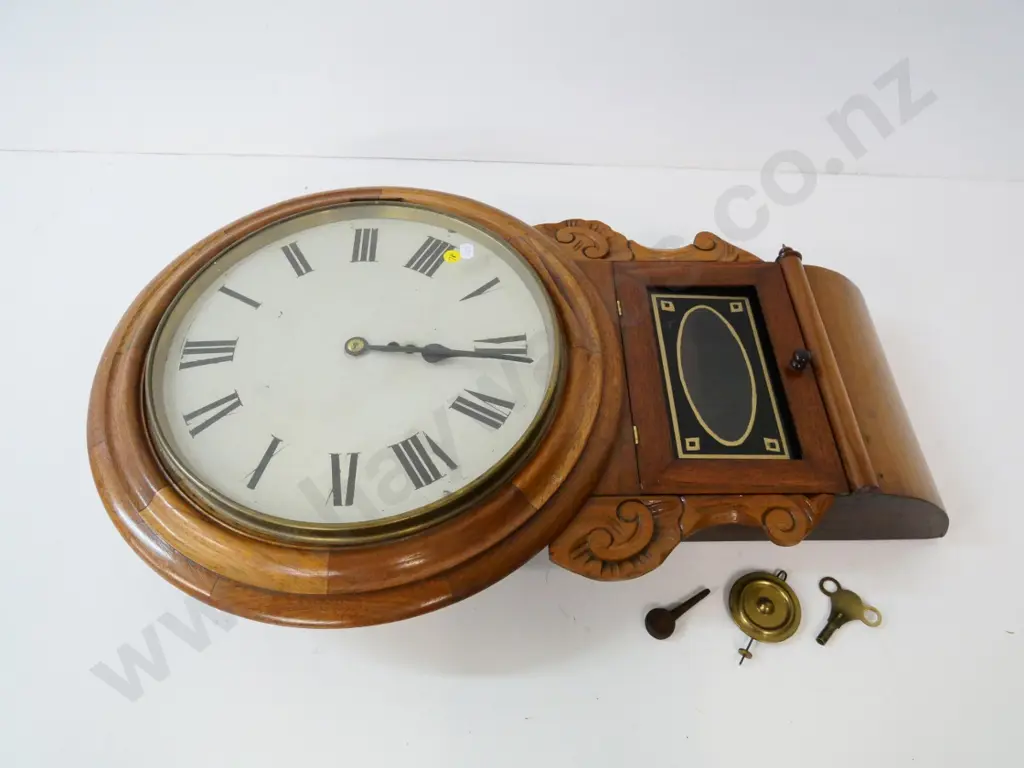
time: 3:15
